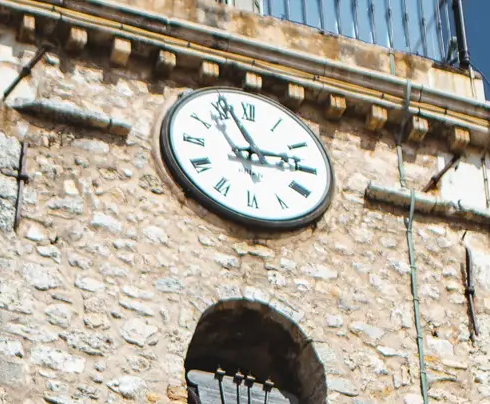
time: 2:56
